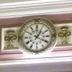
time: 1:20
